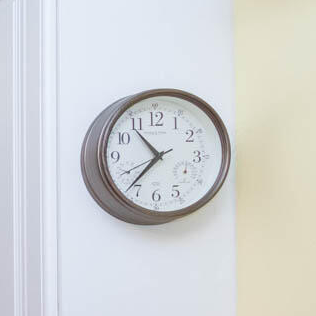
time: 10:37
